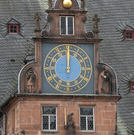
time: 12:00
